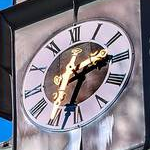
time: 2:33
